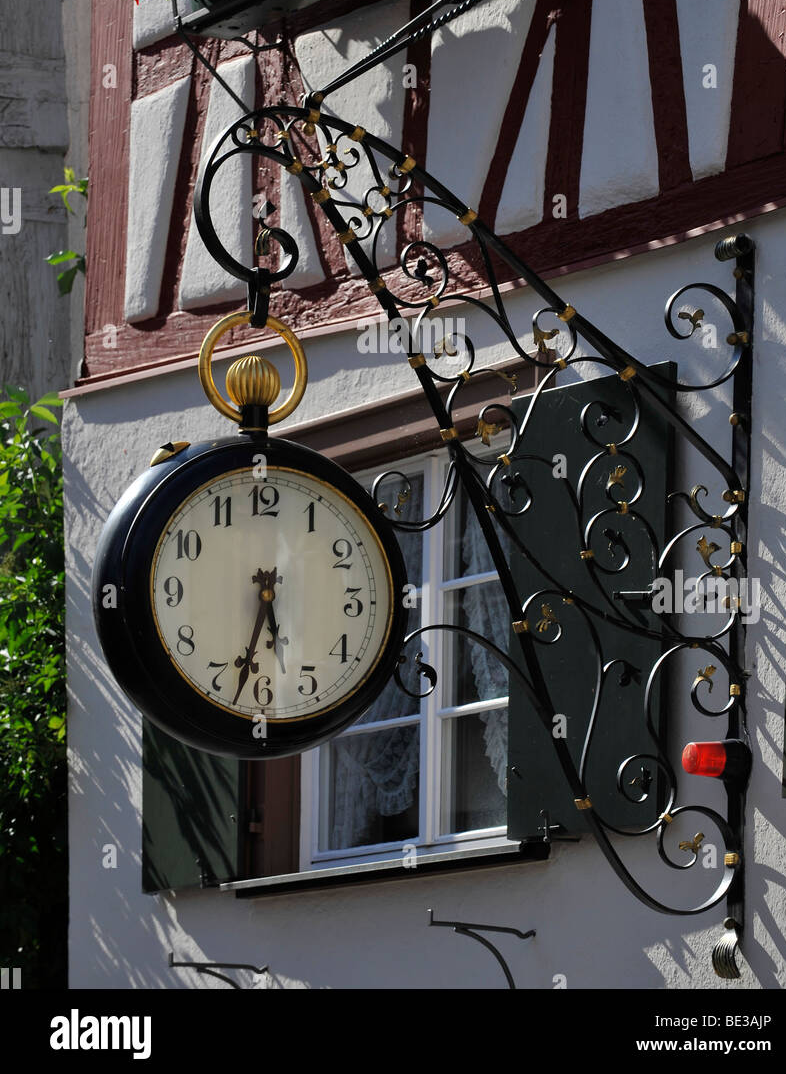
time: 5:32
